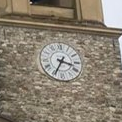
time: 3:34
